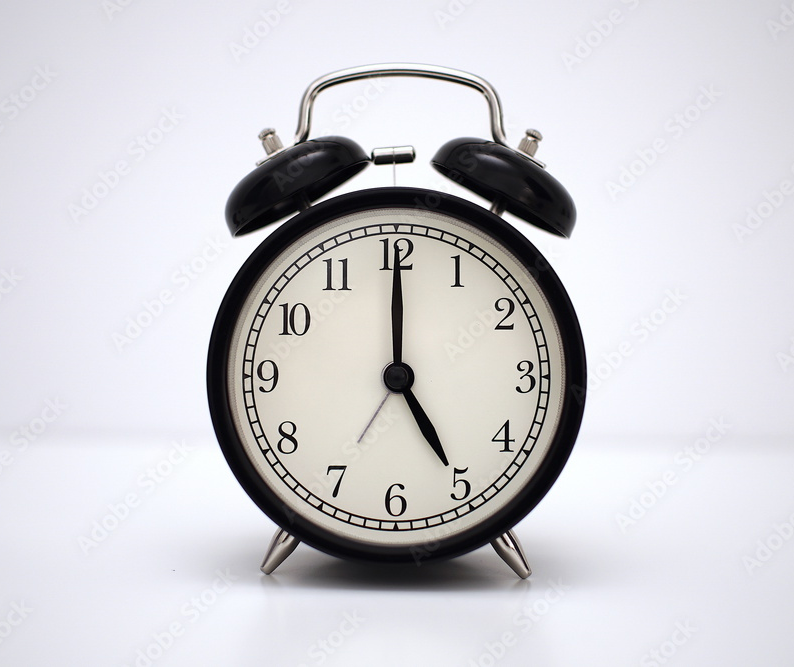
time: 5:00
